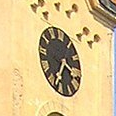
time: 3:34
